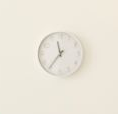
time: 11:36
